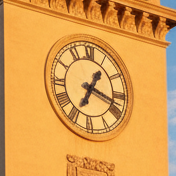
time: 3:34
